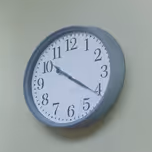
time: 10:20
